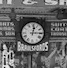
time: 12:14
